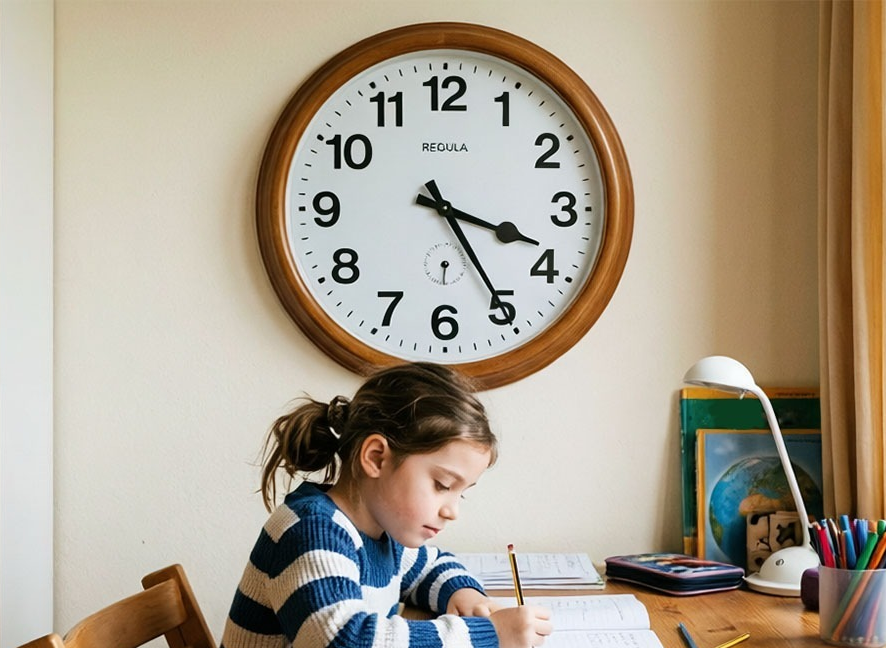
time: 3:24
